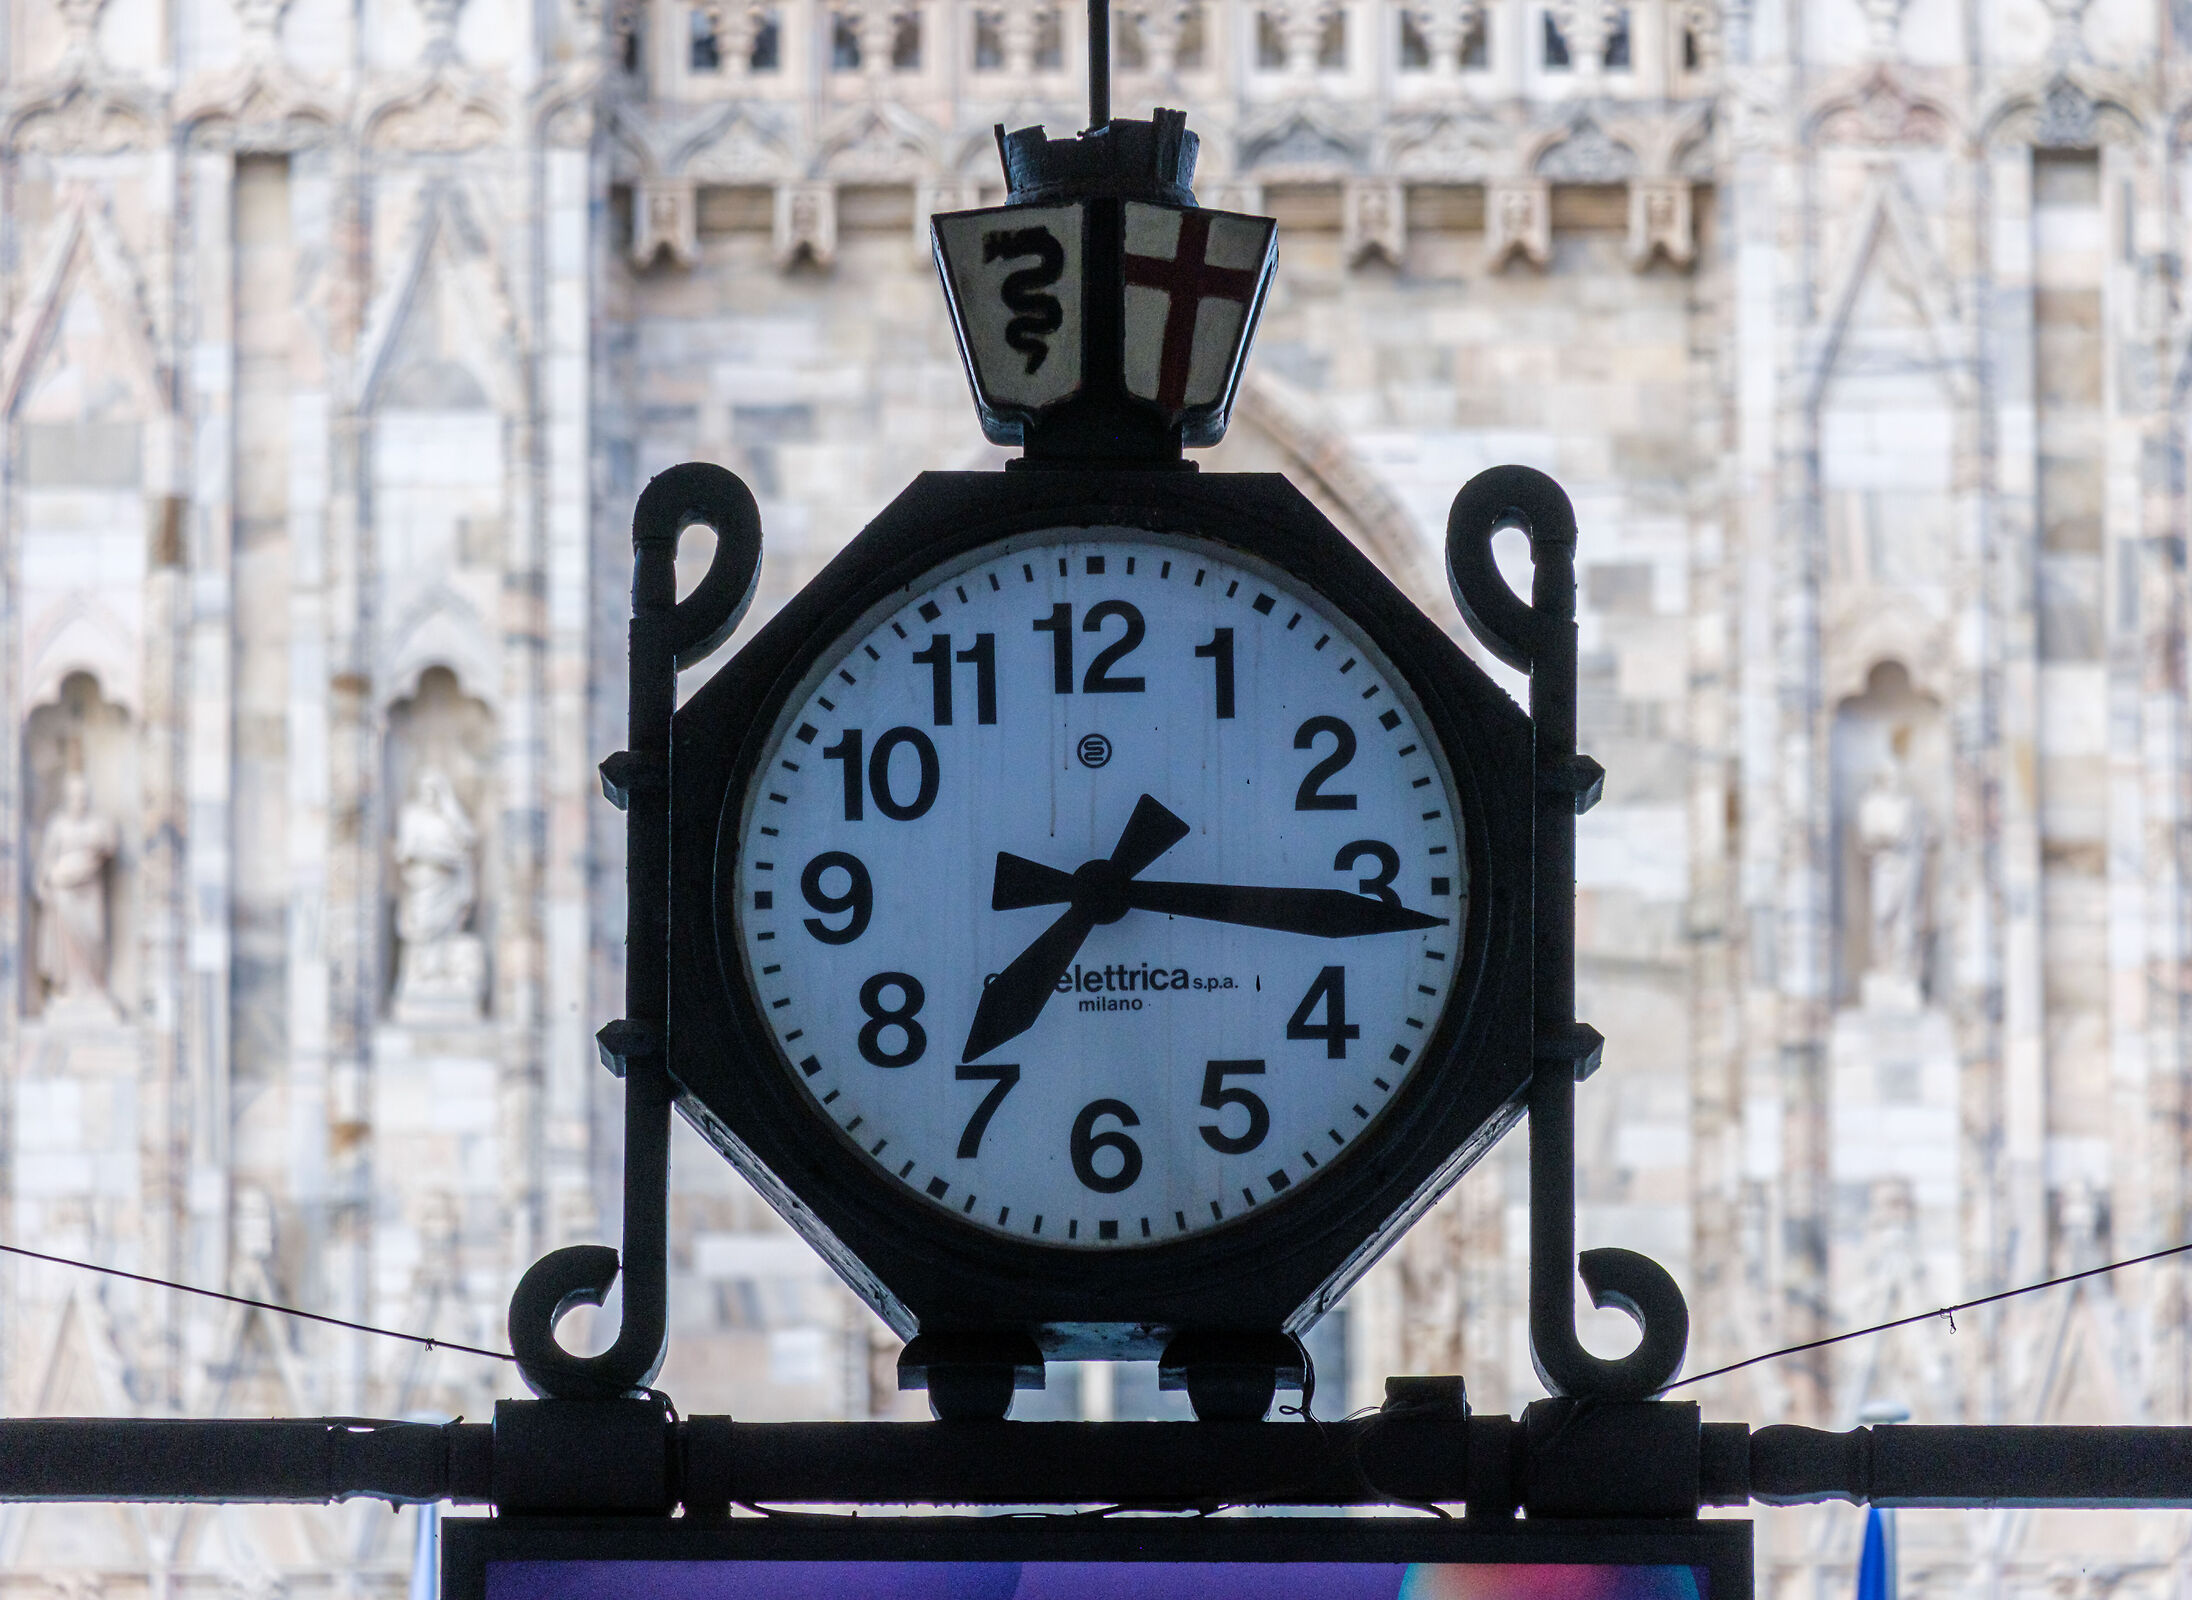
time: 7:15
